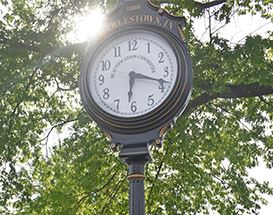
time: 6:18
